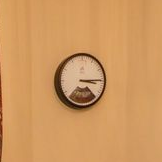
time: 3:14
